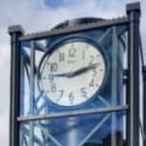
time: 9:12
